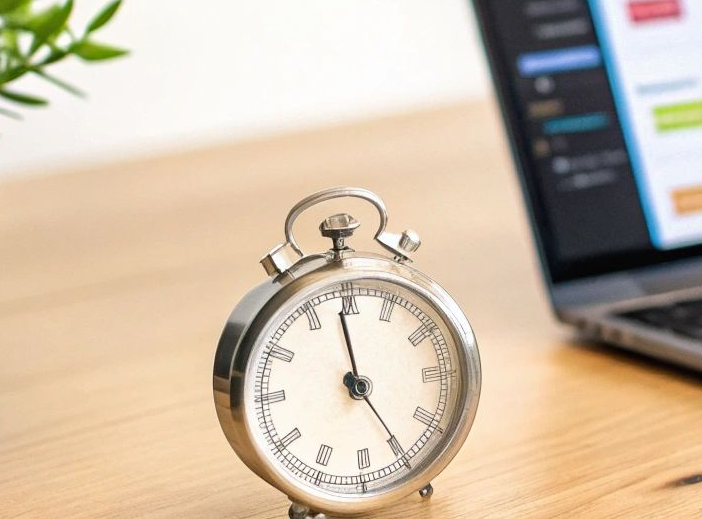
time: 4:58
